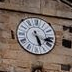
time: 5:17
